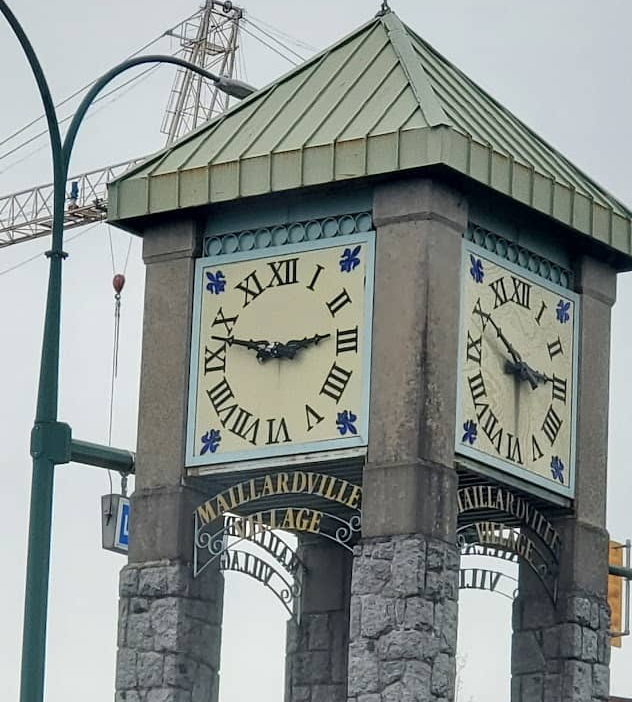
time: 2:47
